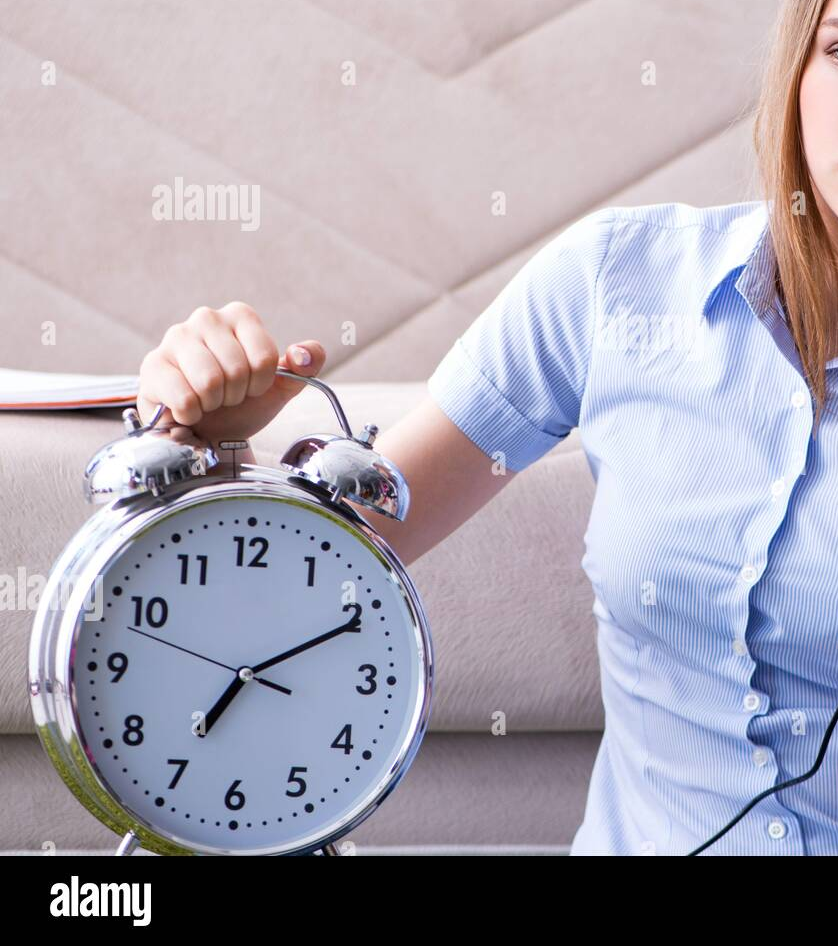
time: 7:10
